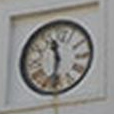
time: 11:31
